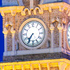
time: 7:35
